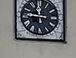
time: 11:46
